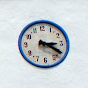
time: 3:20
